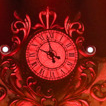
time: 9:57
